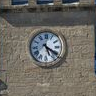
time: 5:20
